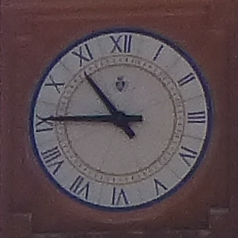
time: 10:45
